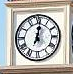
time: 7:01
